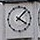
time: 4:07
